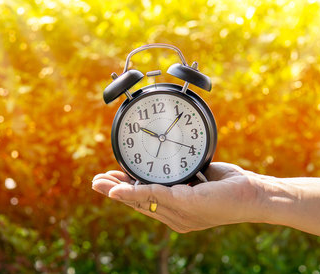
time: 10:07
